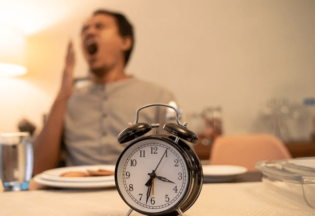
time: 3:32
